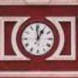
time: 12:59
